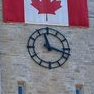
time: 11:17
